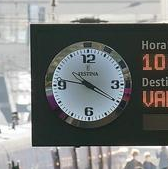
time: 9:20
